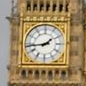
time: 1:43
